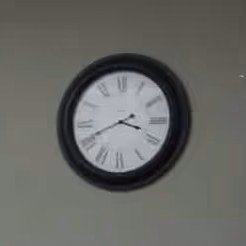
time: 3:40
